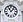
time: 11:07
